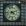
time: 4:11
